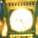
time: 9:25
